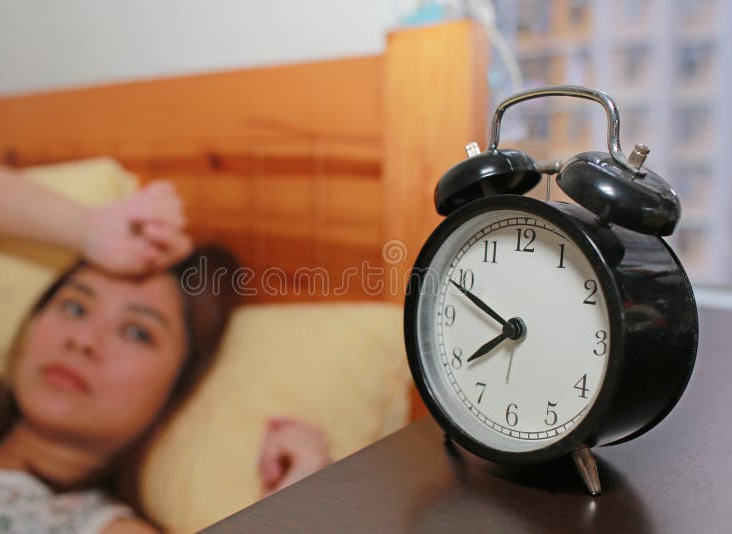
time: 7:49
